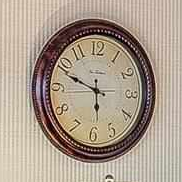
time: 5:48
